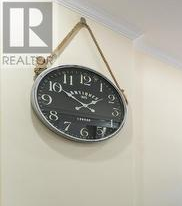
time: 1:50
